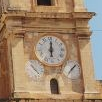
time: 6:00
